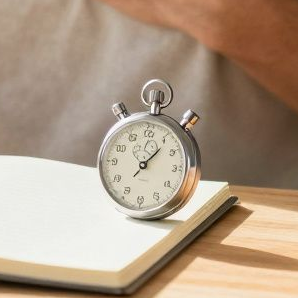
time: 1:07
